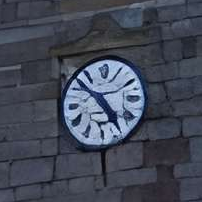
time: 4:52
